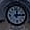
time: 12:14
